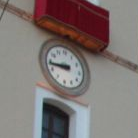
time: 8:43
